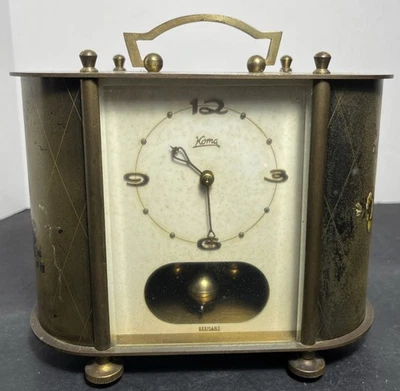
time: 10:28
